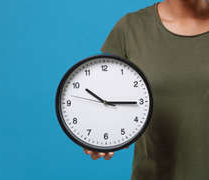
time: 10:15
